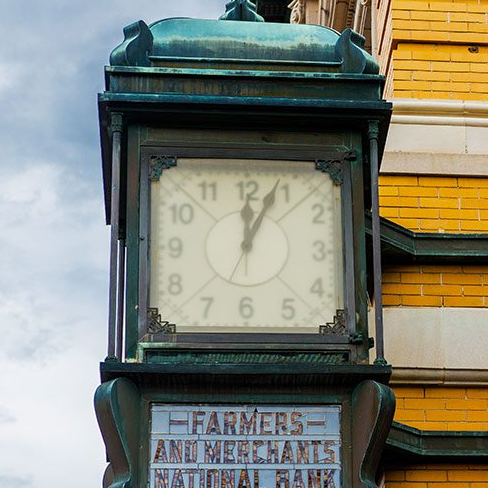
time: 12:03
